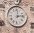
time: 12:13
